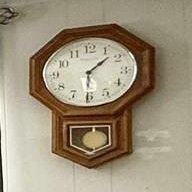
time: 1:30
